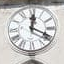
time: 12:19
